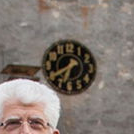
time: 6:40
